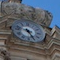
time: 9:25
